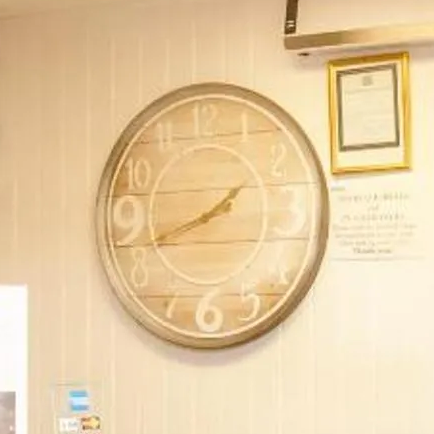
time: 1:42
